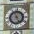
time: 4:56
